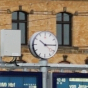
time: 10:14
